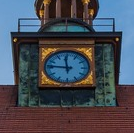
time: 11:46
